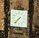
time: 7:37
